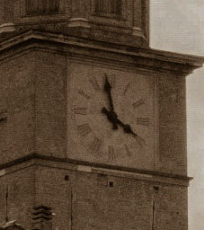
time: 3:58
